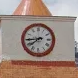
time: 7:44
